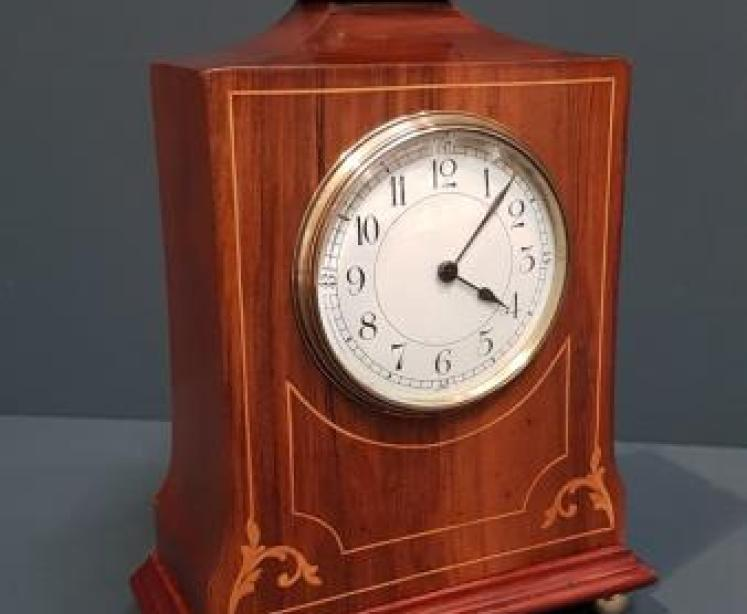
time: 4:07
